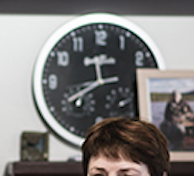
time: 11:40
